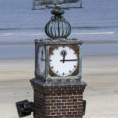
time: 12:14
